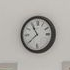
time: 10:38
